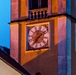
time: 7:08
